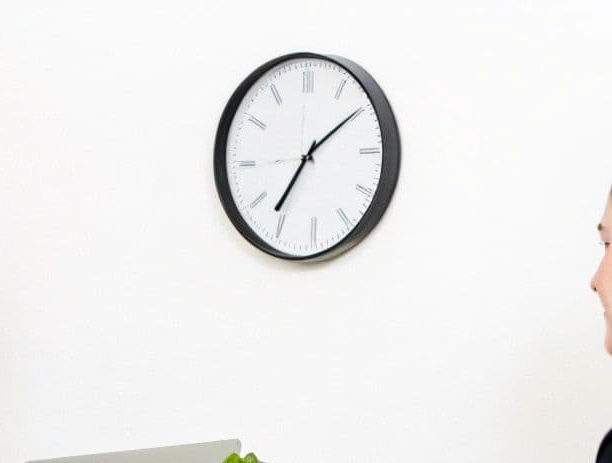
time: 7:09
